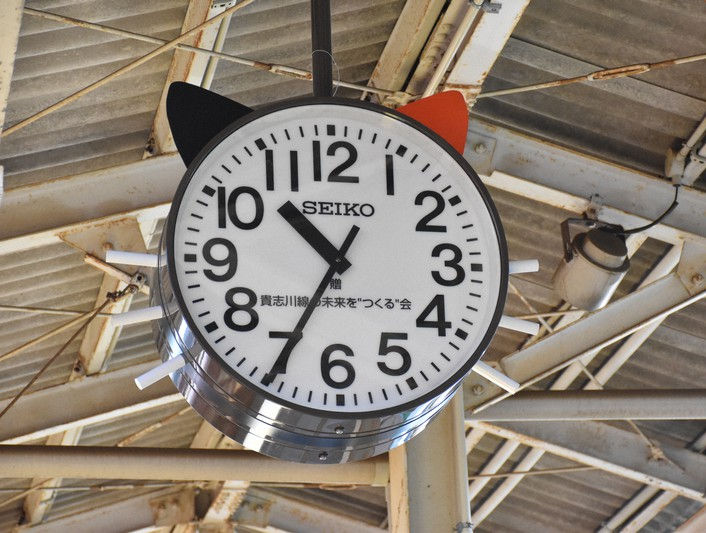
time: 10:34
